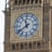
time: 11:38
